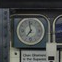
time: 6:58
